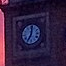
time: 7:01
